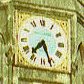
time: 7:26
